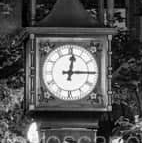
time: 12:14
